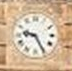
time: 9:25
